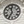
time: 11:35
